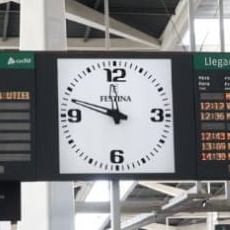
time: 11:48
